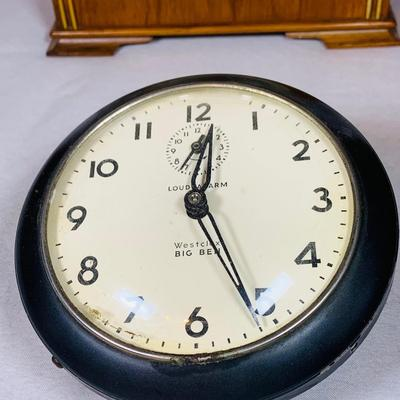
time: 12:01
